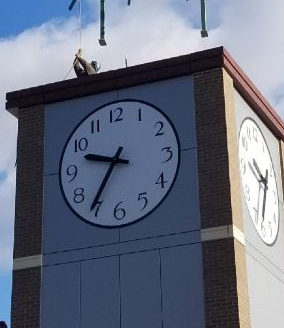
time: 9:35
